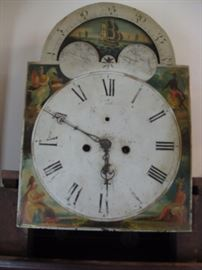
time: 5:49
